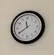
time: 11:39
